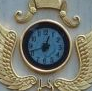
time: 12:41
